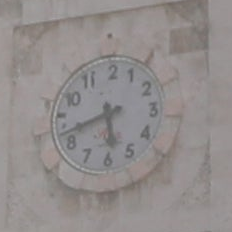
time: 5:42
